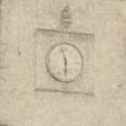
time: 5:57
